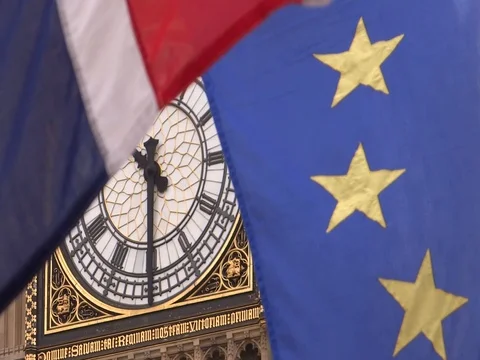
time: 10:30
